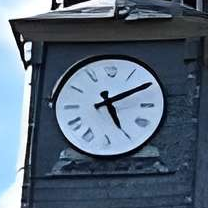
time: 5:10
